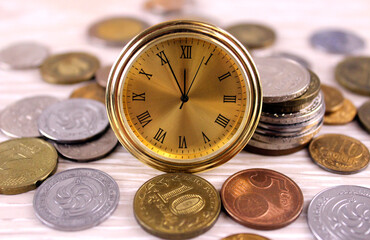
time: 11:55
